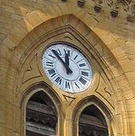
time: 11:52
